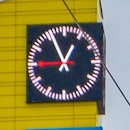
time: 12:55
